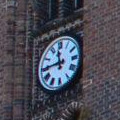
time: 11:44
